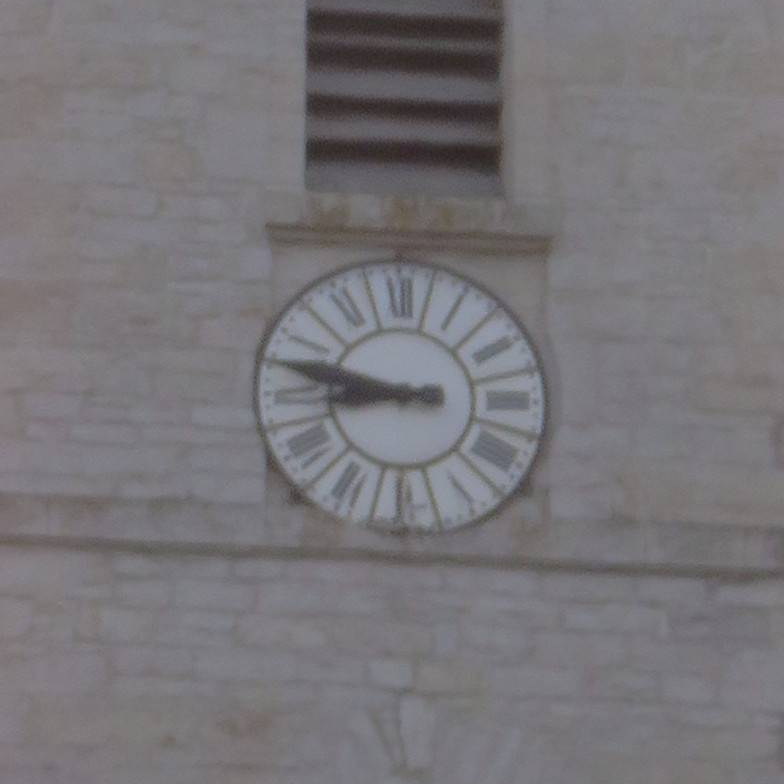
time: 8:47
